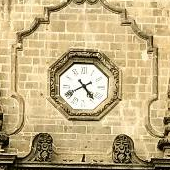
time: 4:40
